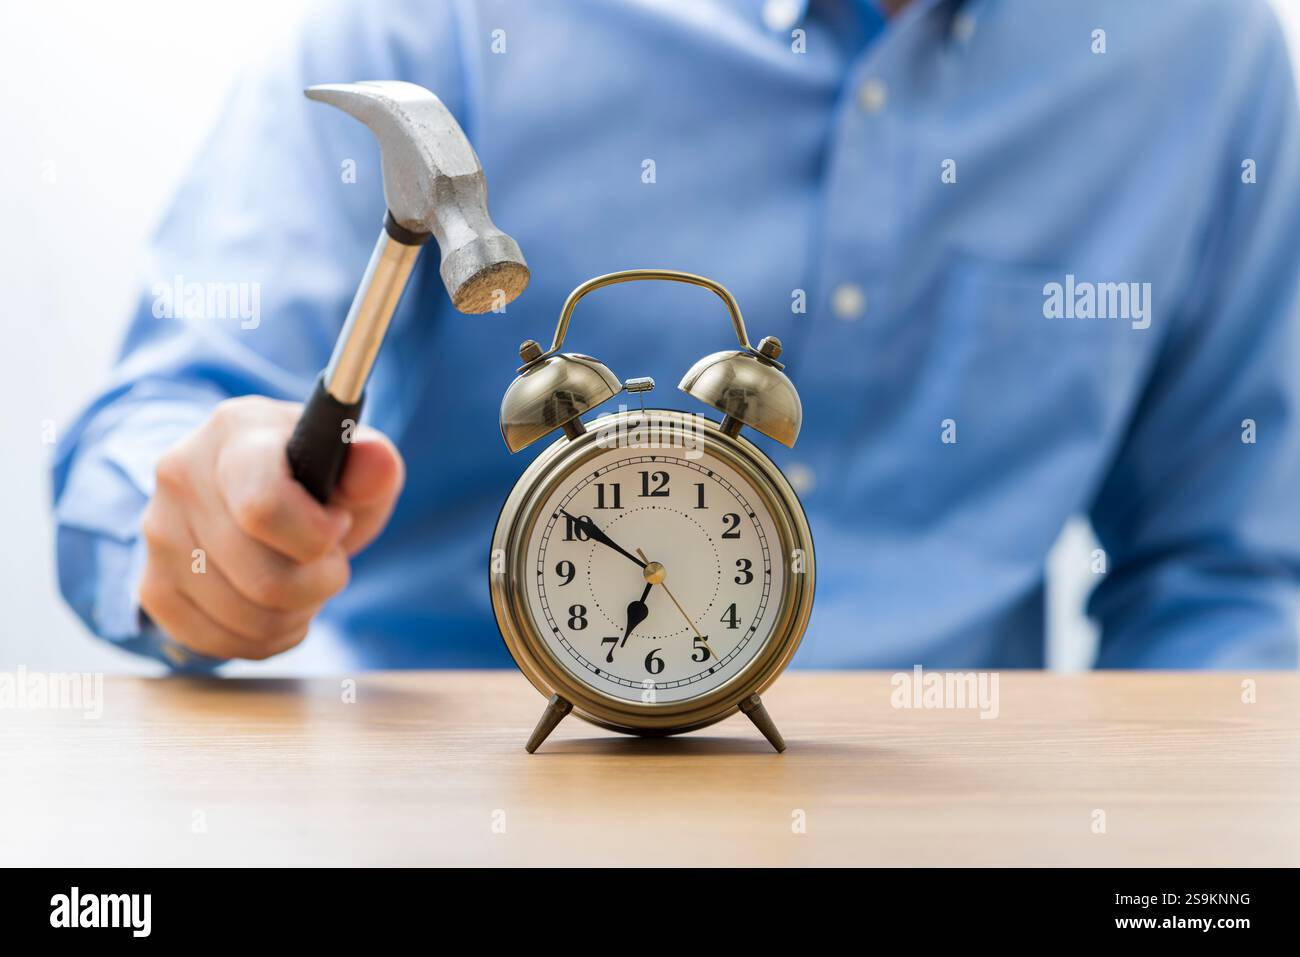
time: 6:50
